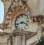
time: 3:43
